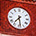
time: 7:28
